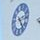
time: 2:23
